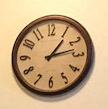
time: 1:12
